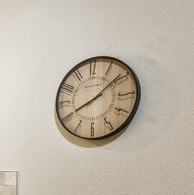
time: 8:08
